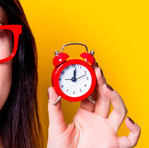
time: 12:12
